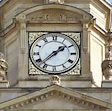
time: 1:37
